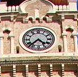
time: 4:37
